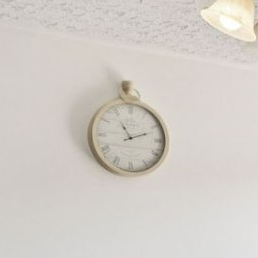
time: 11:11
